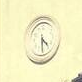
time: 4:28
